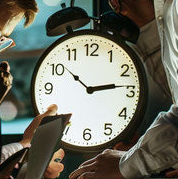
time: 10:13
